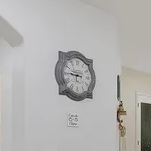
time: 8:45
